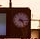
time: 4:14
